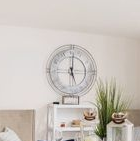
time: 5:00
